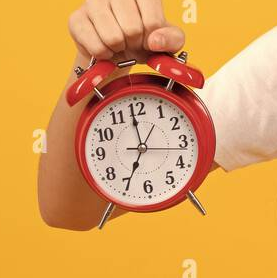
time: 6:58
